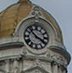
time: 3:52
